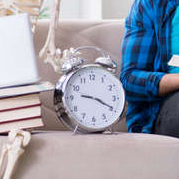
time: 9:19
